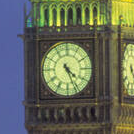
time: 4:26
